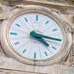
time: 4:15
